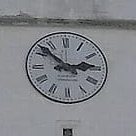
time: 2:52
